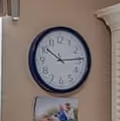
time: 10:14
